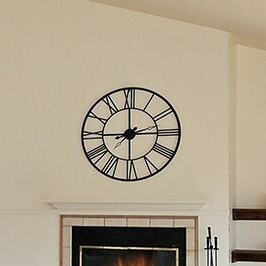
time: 2:59
